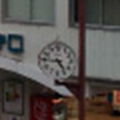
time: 4:45
